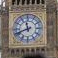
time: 11:41
